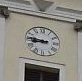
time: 8:46
